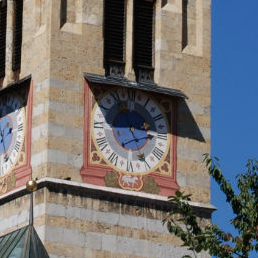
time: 2:54
